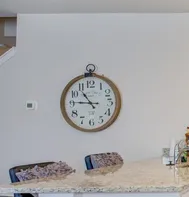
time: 10:45
